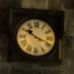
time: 10:18
